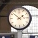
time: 1:51
